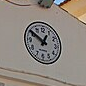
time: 12:50
